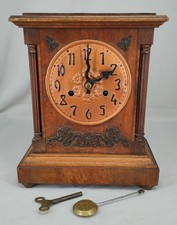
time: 2:00
